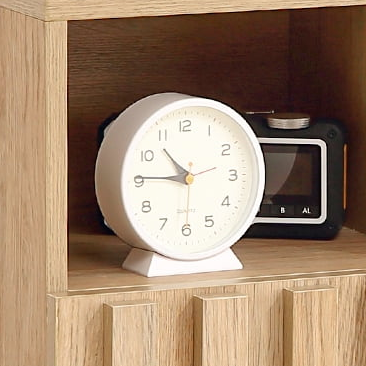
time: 10:45
